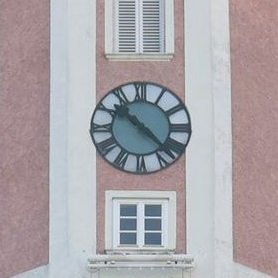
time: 10:22
